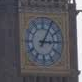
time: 3:04
